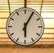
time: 6:04
